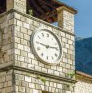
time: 9:13
